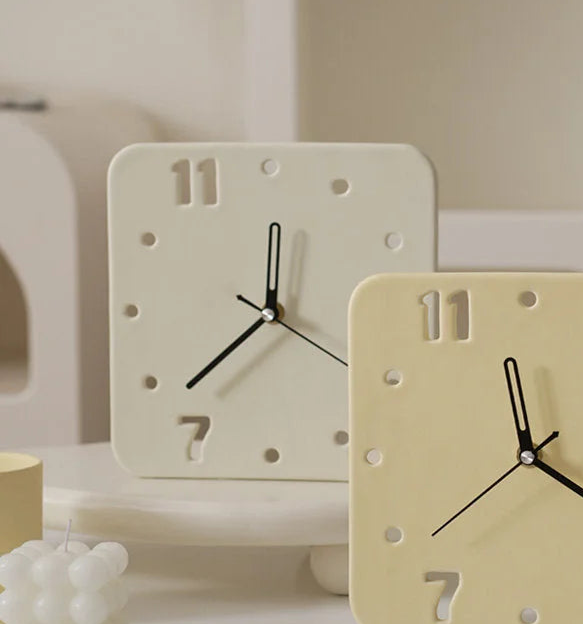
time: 12:38
